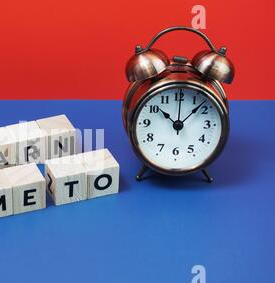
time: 10:07
